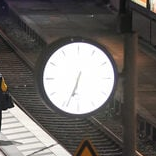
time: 6:33
